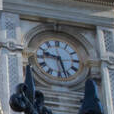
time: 9:27
